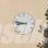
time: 8:47
